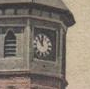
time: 11:53
